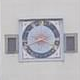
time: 3:40
